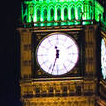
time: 11:32
